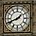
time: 1:41
